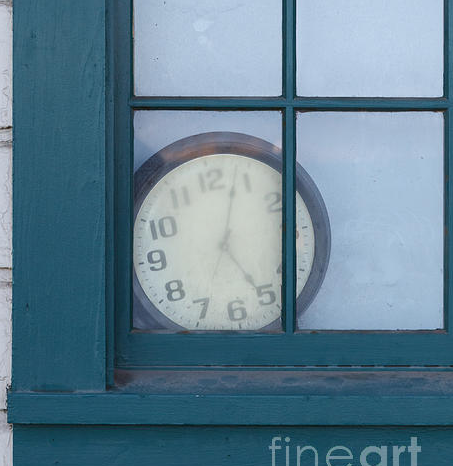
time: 5:03
